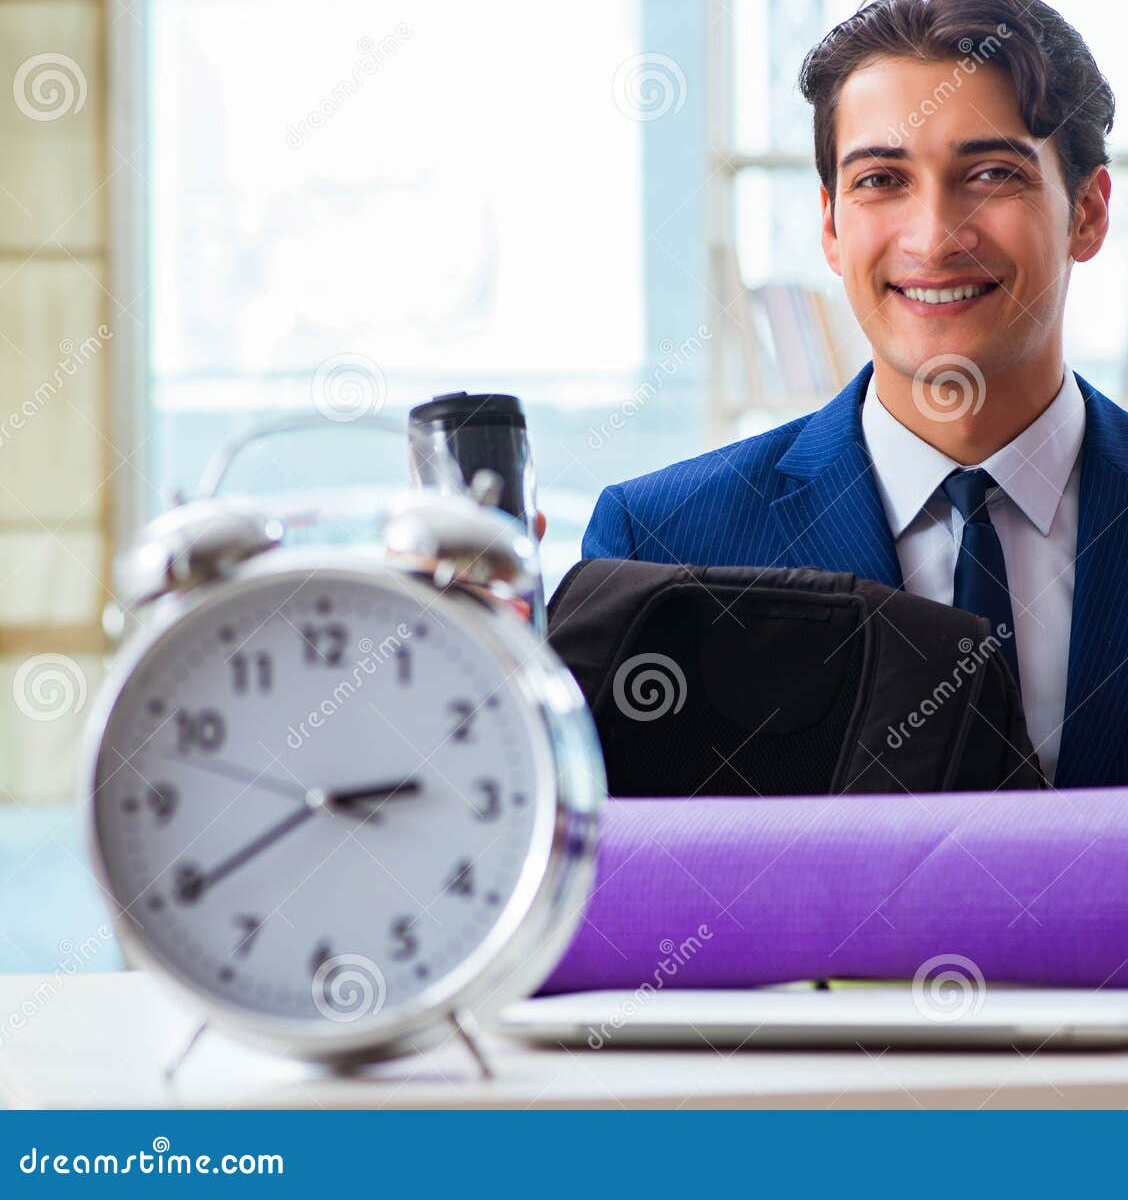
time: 2:39
